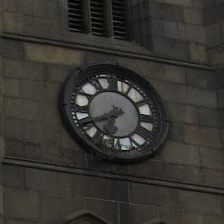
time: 7:40
